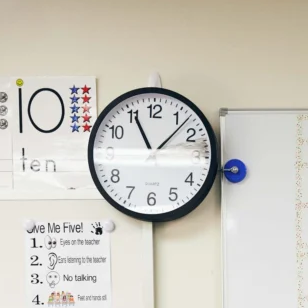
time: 11:07
